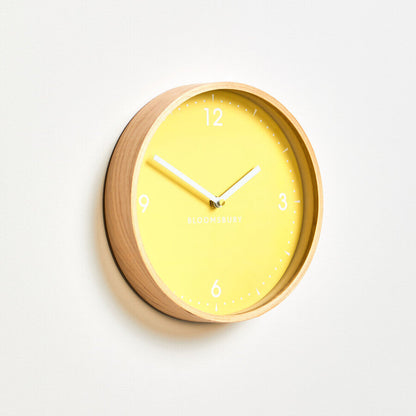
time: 1:49
